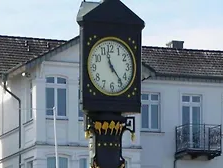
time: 11:23
